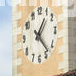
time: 1:22
